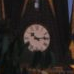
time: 10:13
